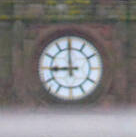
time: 8:59
